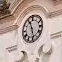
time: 11:28
